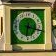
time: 6:17
